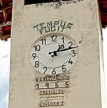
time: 1:12
